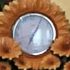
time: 7:05
